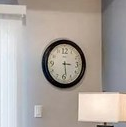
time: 3:28
